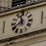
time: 11:40
